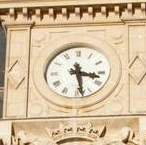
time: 3:28
